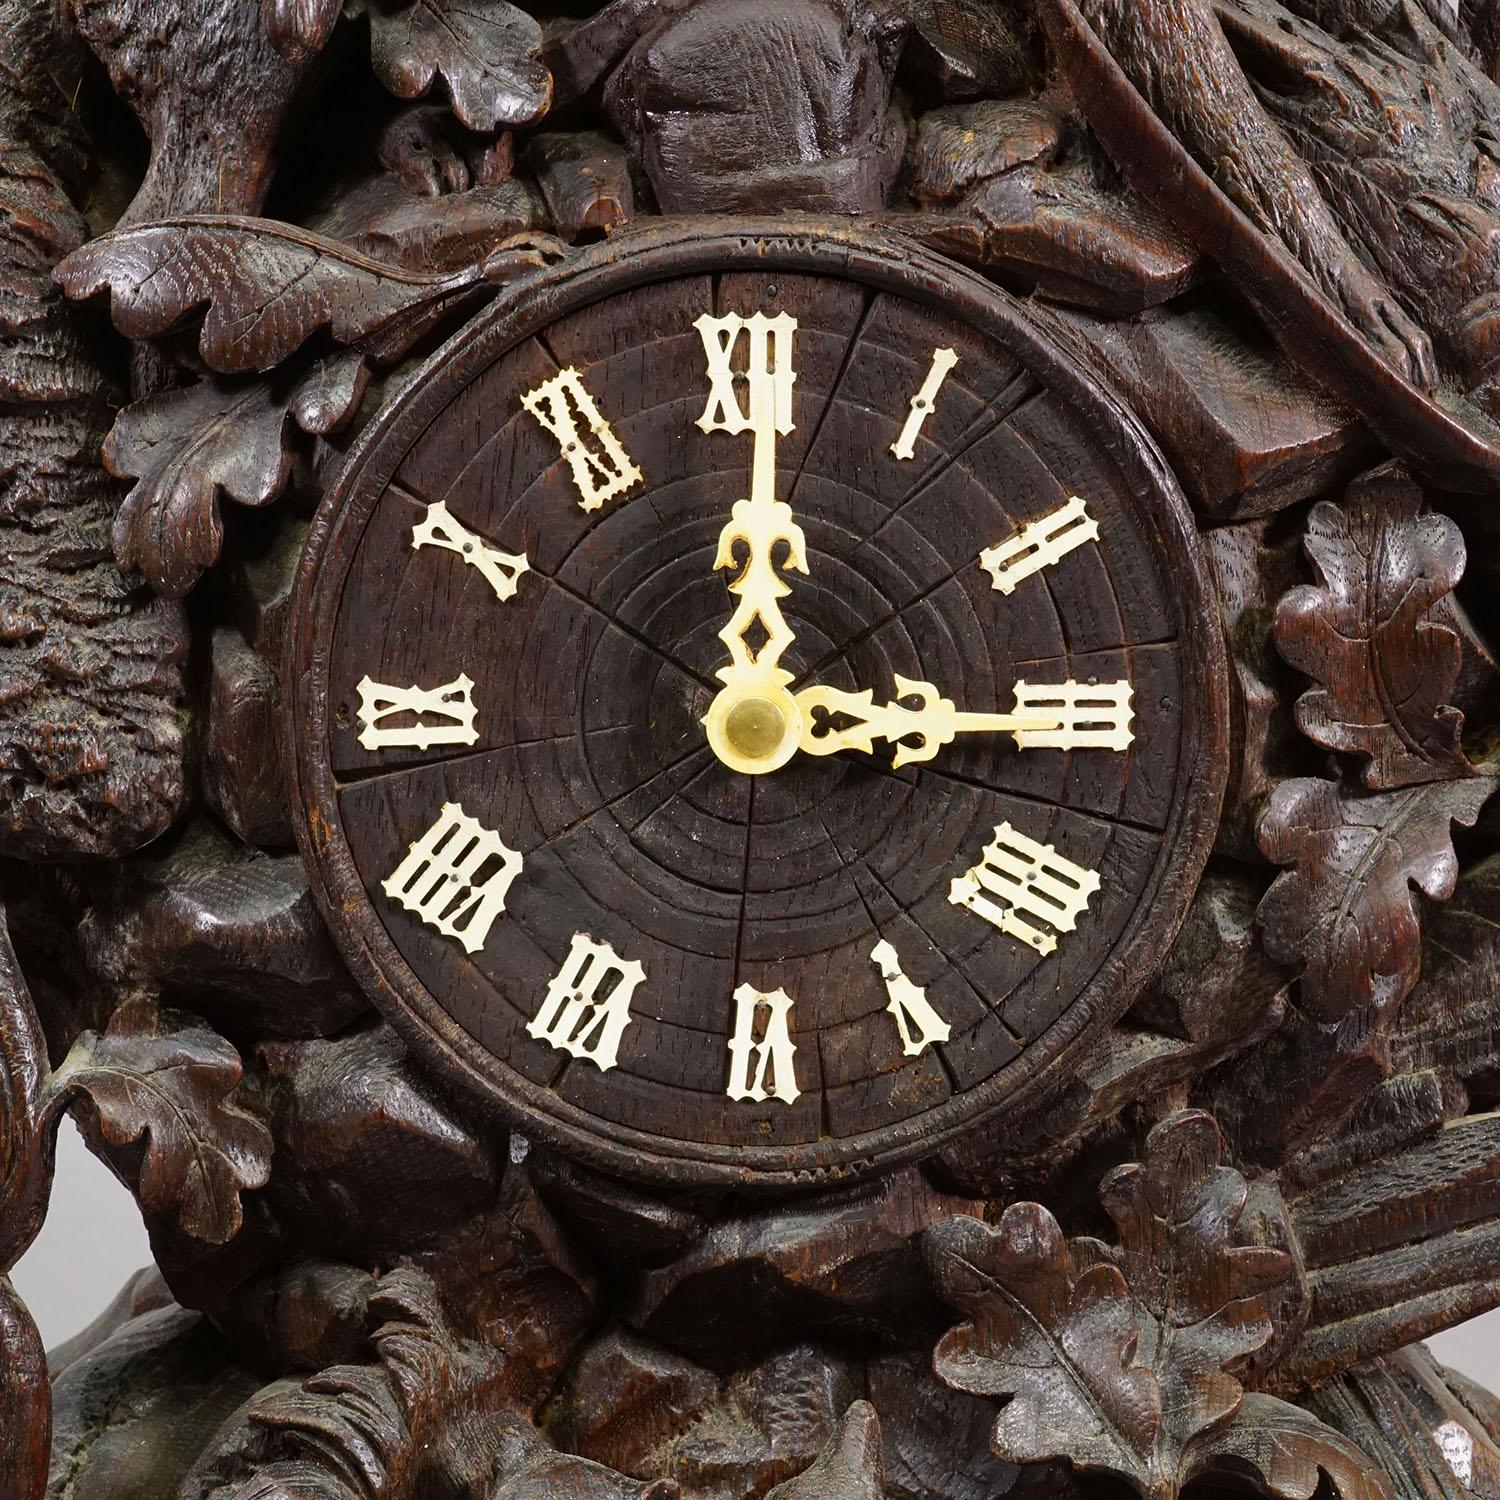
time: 3:00
